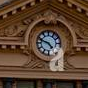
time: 4:48
